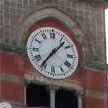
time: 1:36
